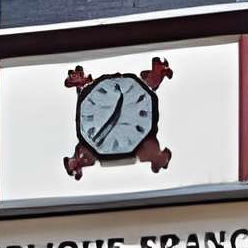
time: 12:37
